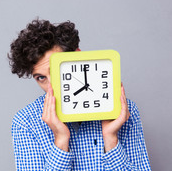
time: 7:59
